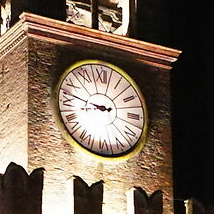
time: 8:47
